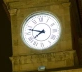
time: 7:47
